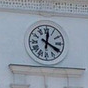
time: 4:01
